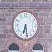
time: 6:28
